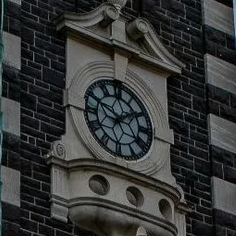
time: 1:49
